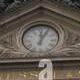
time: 12:04
